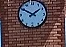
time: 1:50
